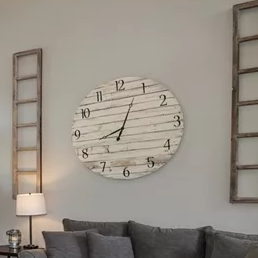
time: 8:03
